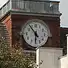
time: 5:53
